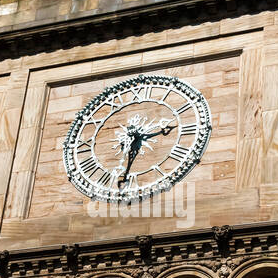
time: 2:31
